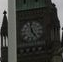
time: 4:57
